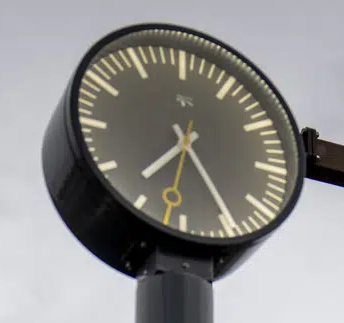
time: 7:24
